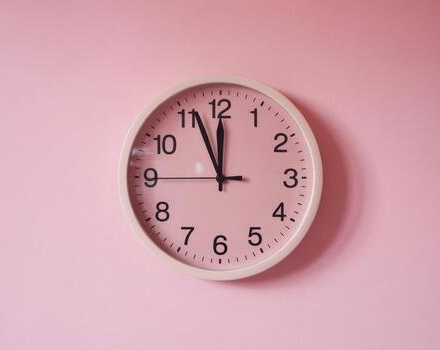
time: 11:56
